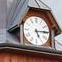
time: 5:14
